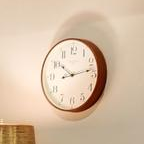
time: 10:13
